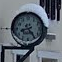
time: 8:24
